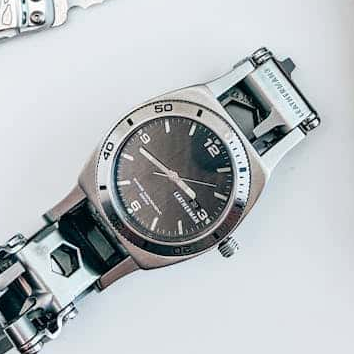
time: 4:52
